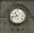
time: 10:43
